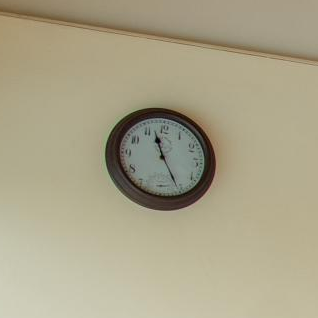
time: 11:25
